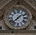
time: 1:37
